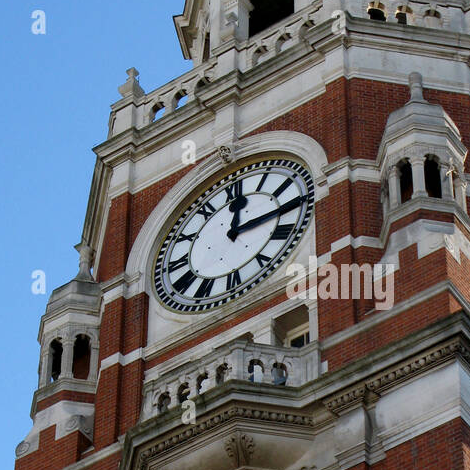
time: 12:14
